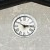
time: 2:50
